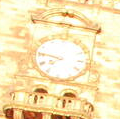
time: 7:46
